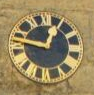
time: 12:46
